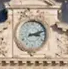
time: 3:11
